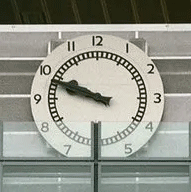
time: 9:48
